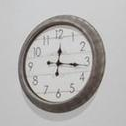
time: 12:16
